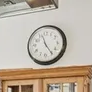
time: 11:24
